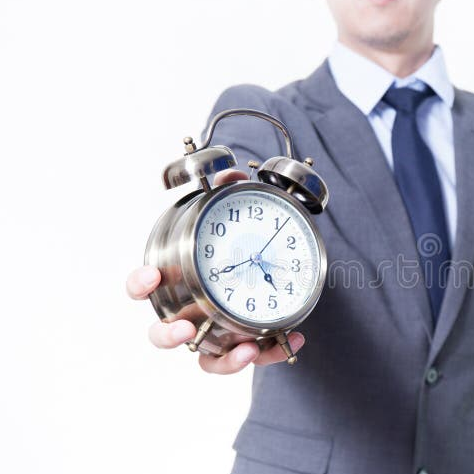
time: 4:41
